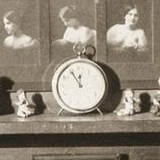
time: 11:54
